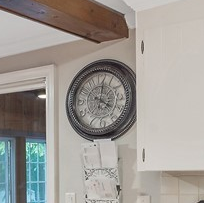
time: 4:02
